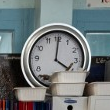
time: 4:00
